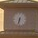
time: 6:32
